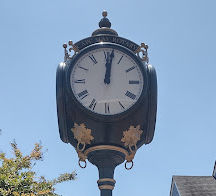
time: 12:01
